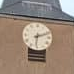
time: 6:11
